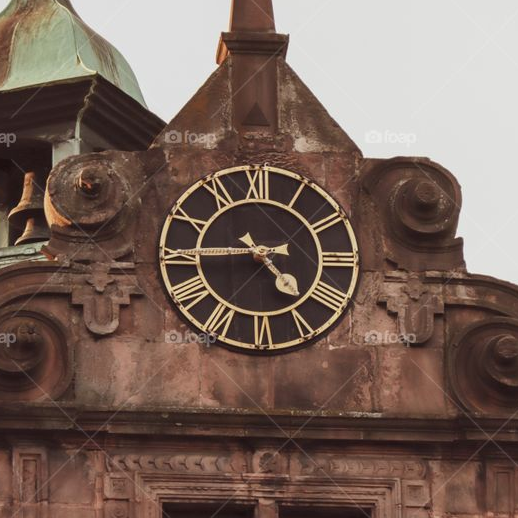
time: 4:44
